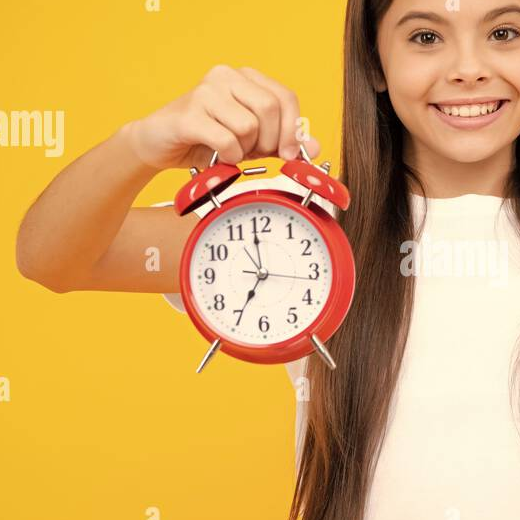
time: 6:59
